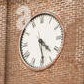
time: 4:28
